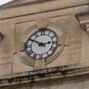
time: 2:50
